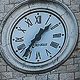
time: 1:36
